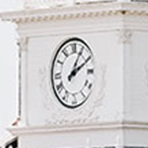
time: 2:04
